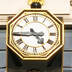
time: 4:44
